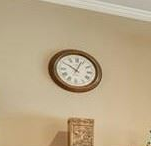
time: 10:03
